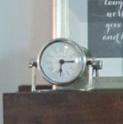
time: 6:14
